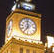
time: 6:58
